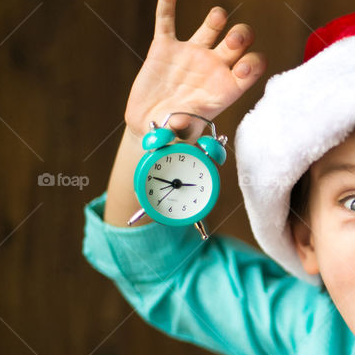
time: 2:45
